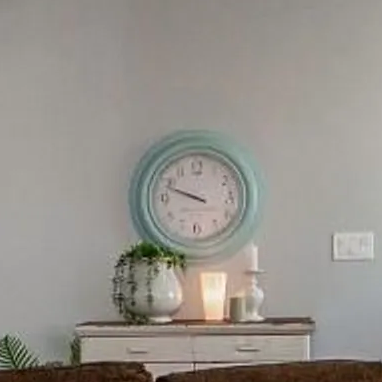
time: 9:48
